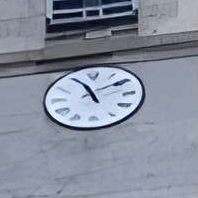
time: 11:09
